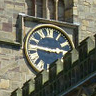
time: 2:46
